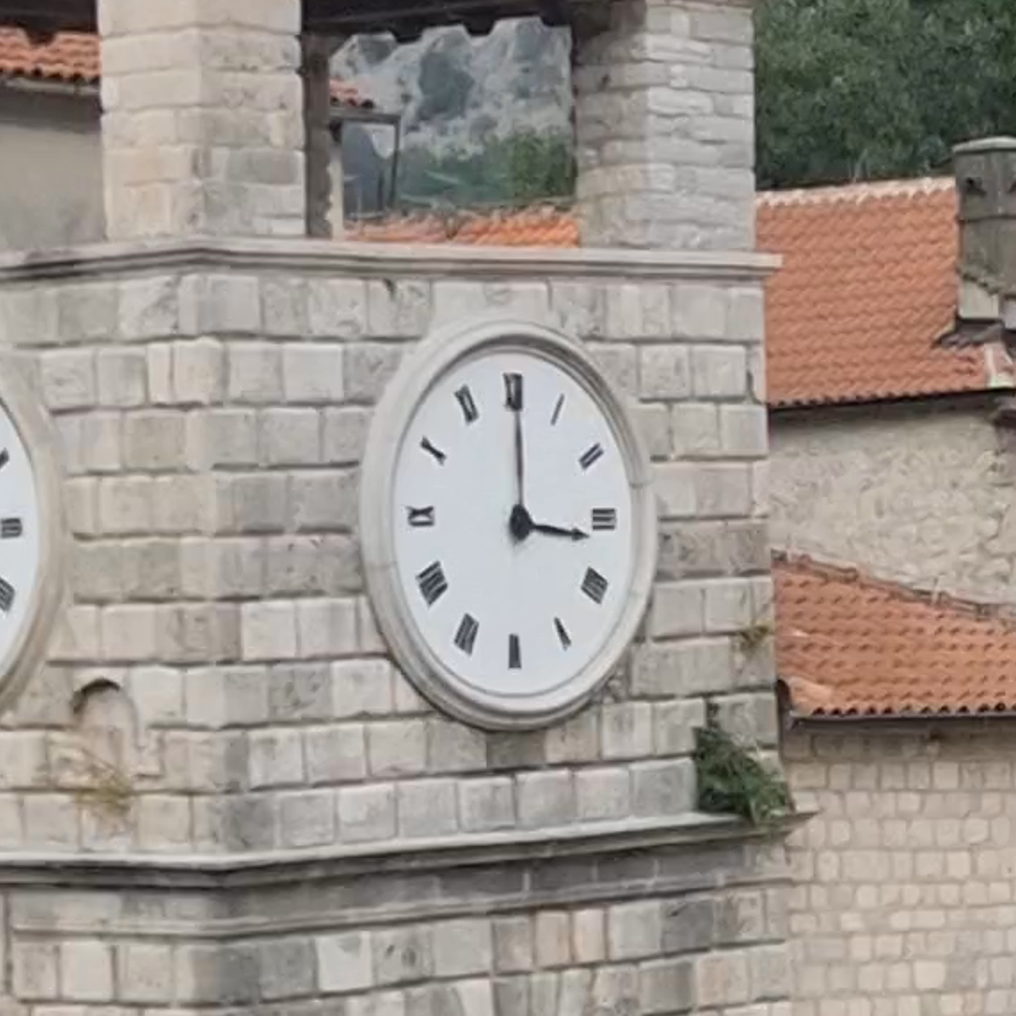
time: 3:00
